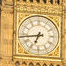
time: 6:43
